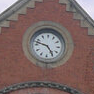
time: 4:47
